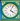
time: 4:04
